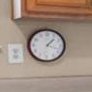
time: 1:18
